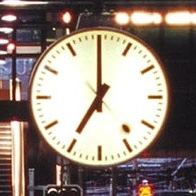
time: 7:00
